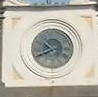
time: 10:40
